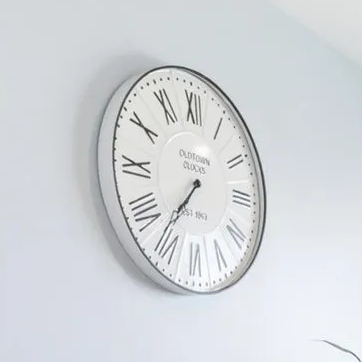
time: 7:36
